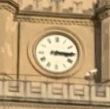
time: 3:14
